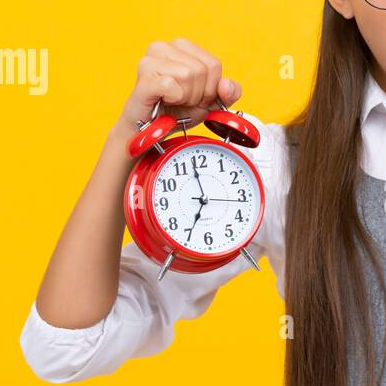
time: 6:58
